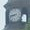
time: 8:42
